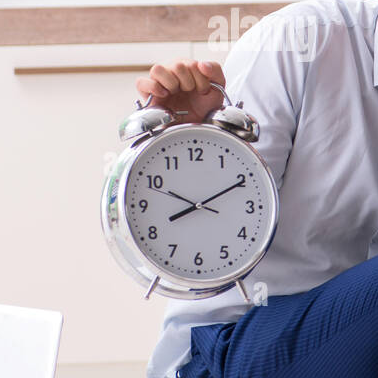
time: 8:10
